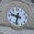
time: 9:33
